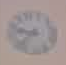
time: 9:38
